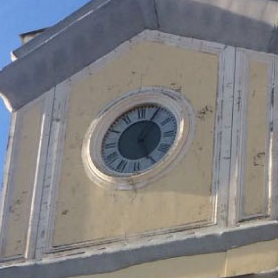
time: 5:05
